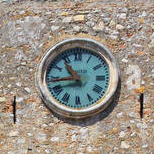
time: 10:43
